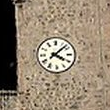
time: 4:07
